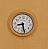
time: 8:27
